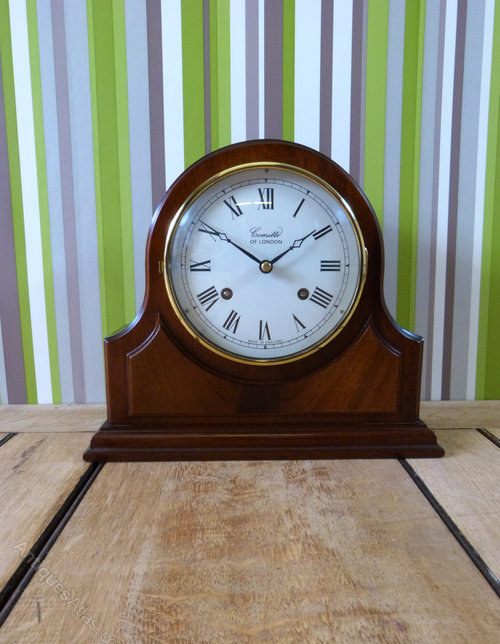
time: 1:50
